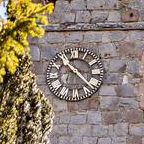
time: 10:22
